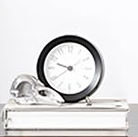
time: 9:39
